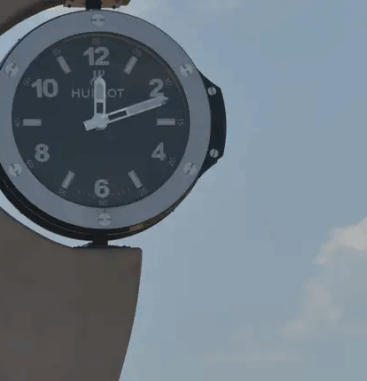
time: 12:11
